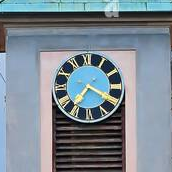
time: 7:19
